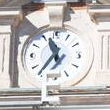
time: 11:36
